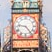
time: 9:23
